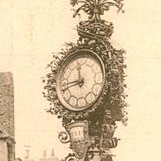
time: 11:42
